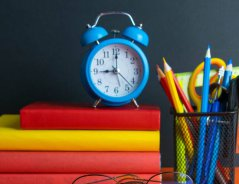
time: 9:00
